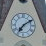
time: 7:09
